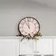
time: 10:59
